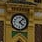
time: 4:07
